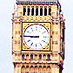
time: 8:45
